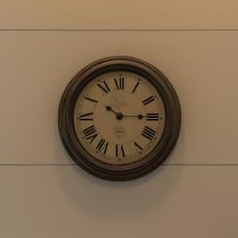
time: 10:14
